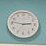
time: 2:46
